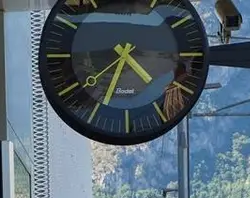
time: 4:34
